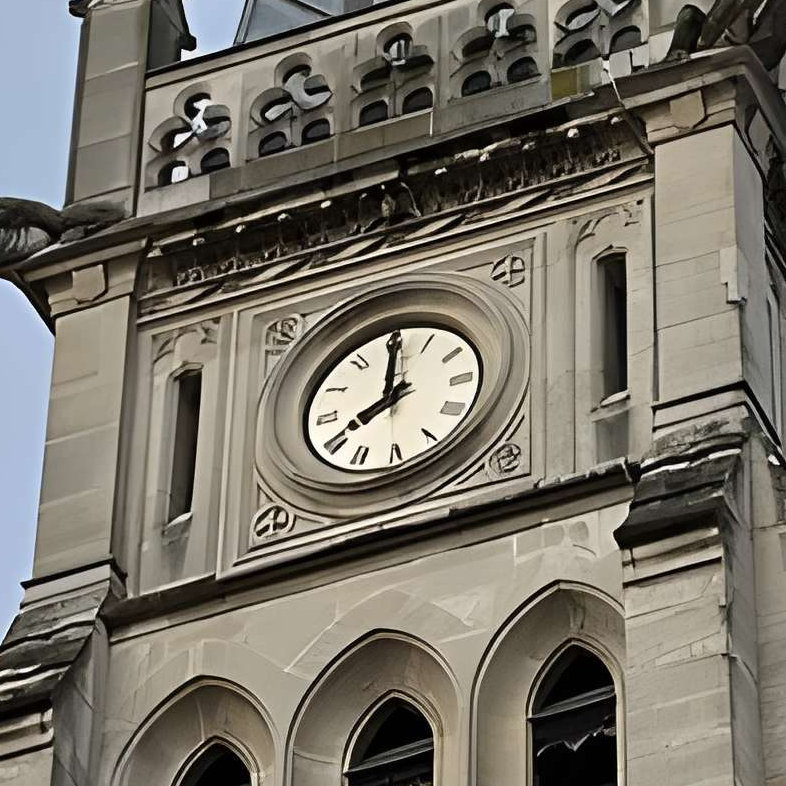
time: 8:00
